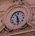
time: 11:28
